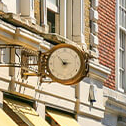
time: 2:53
